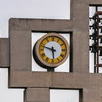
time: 5:47
